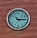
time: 10:14
